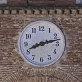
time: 8:12
